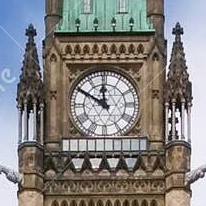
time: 11:50
